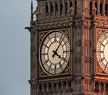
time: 4:07
